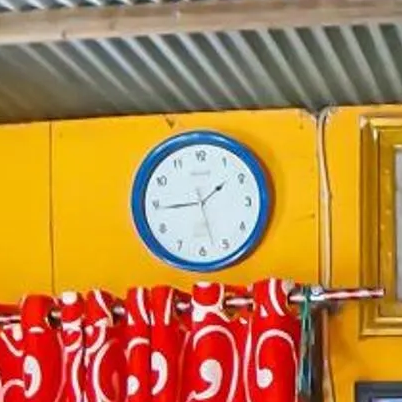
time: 1:44
